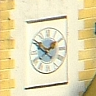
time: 1:50
